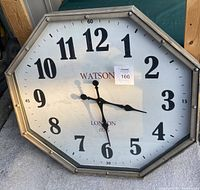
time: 3:29
